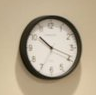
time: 10:18
